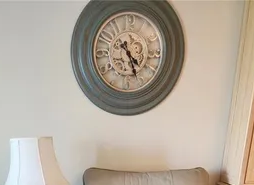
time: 4:26
